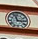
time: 11:15
